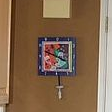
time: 3:48
